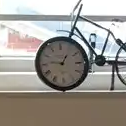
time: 12:46
